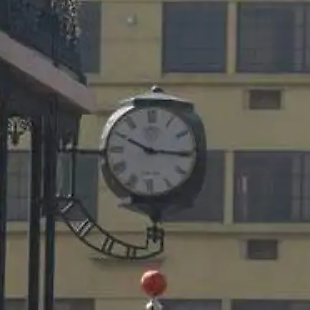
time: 10:15
